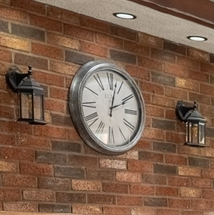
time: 2:02
